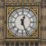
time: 12:26
